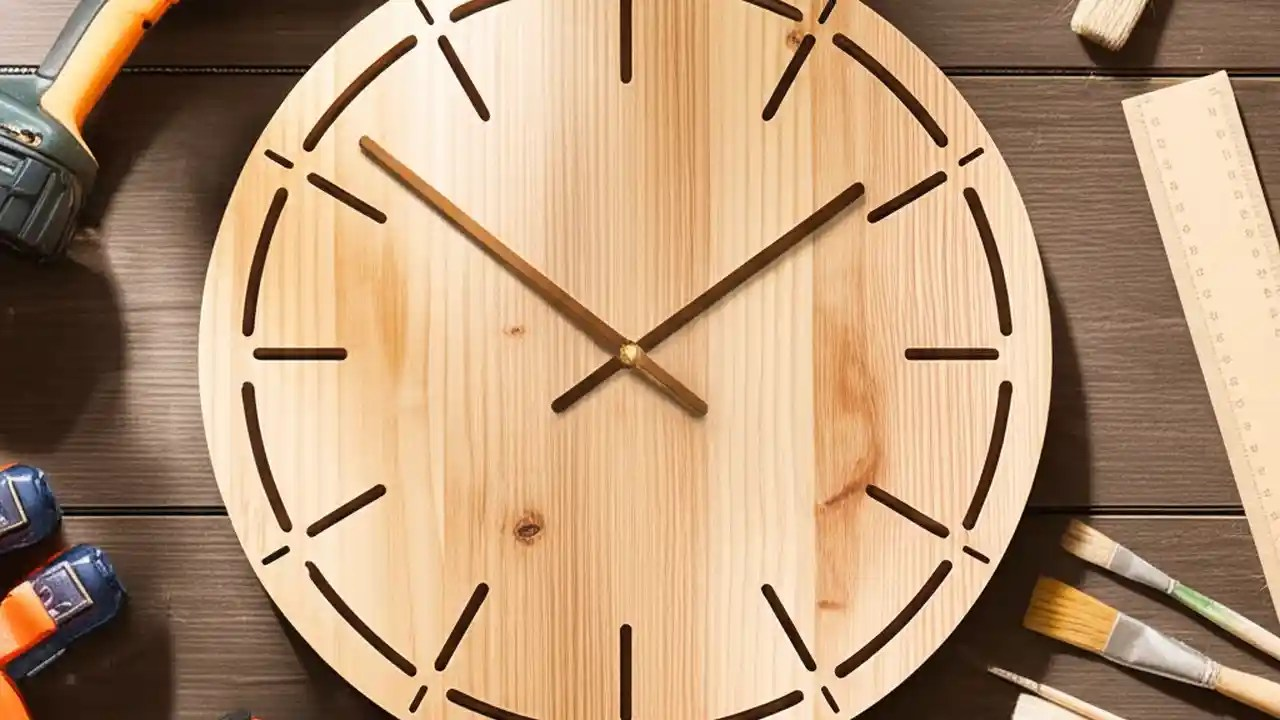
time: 1:51
